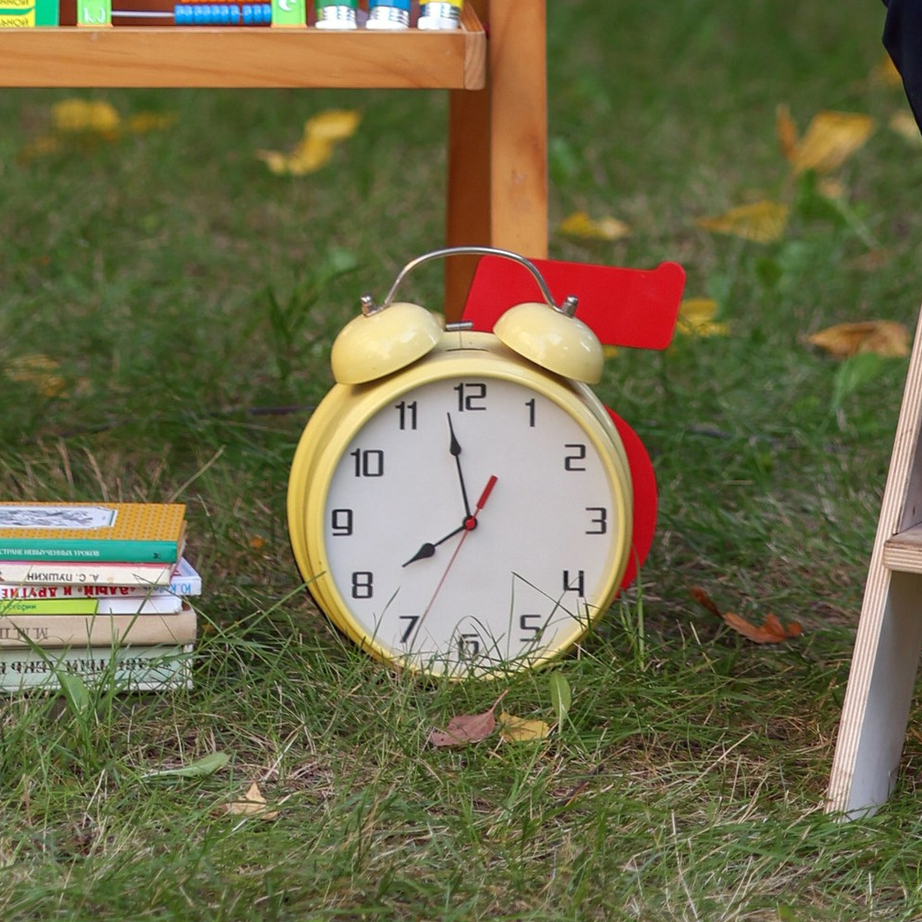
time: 7:58
